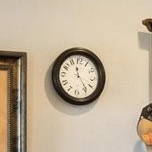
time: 11:23
